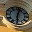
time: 6:03
